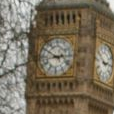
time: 2:50
